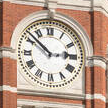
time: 2:52
